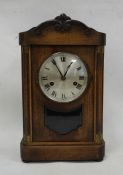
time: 12:55
